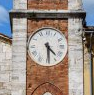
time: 4:29
